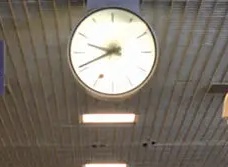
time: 9:41
